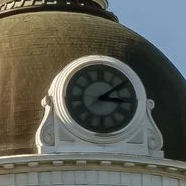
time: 3:08
